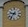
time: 9:36
